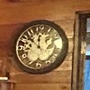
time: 11:52
